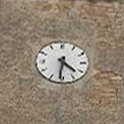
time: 4:31
